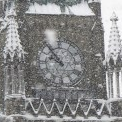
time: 9:53
